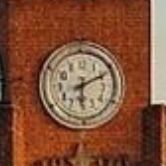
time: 6:10
